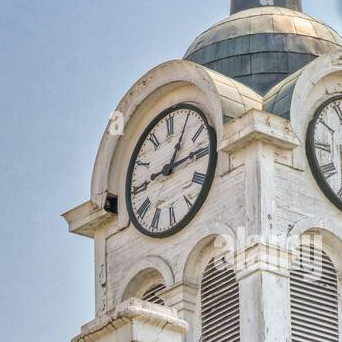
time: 1:14
